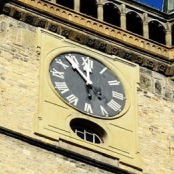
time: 11:52
